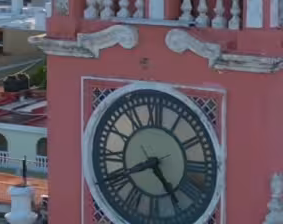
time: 4:40
